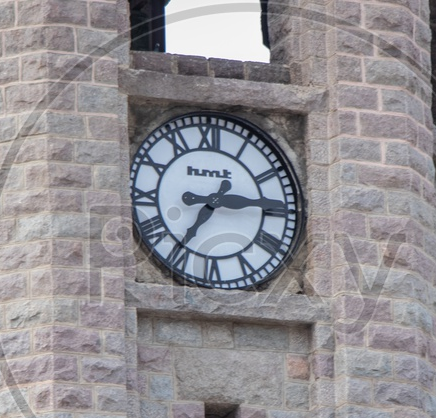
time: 2:35
